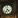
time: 4:35
